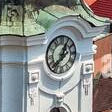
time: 12:37
